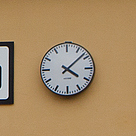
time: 4:08
